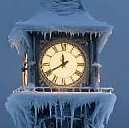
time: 11:40
